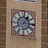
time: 1:16
